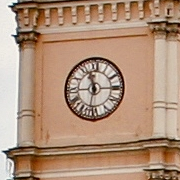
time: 11:31
